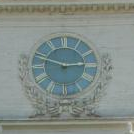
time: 2:48
